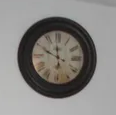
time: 11:49
